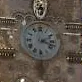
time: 2:18
